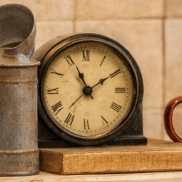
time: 11:09
